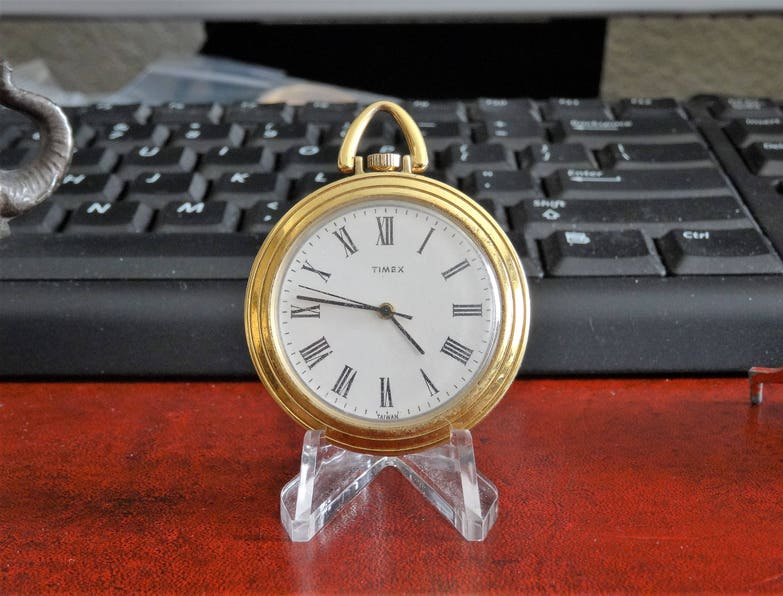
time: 4:46
